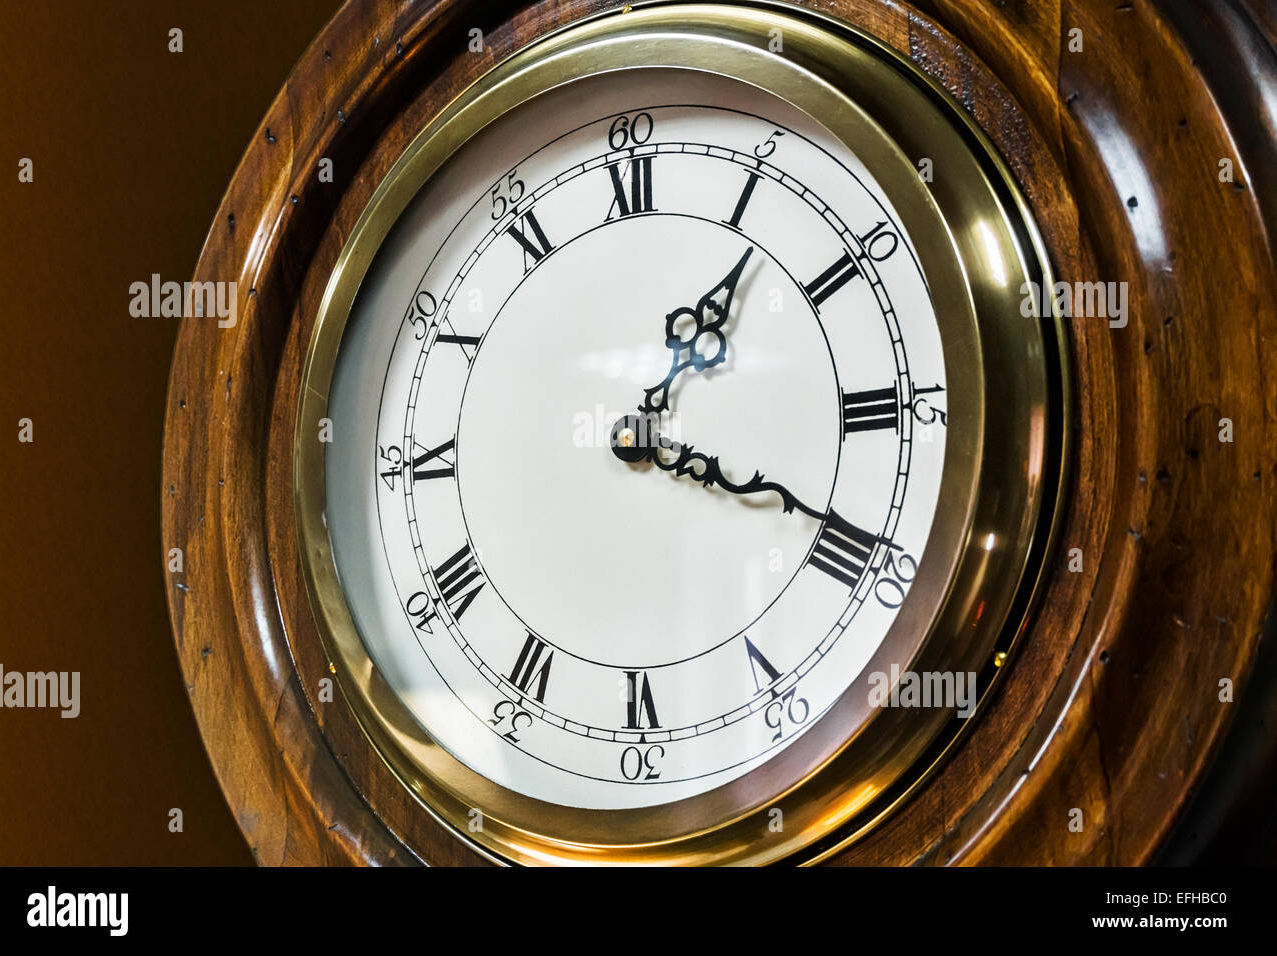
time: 1:18
